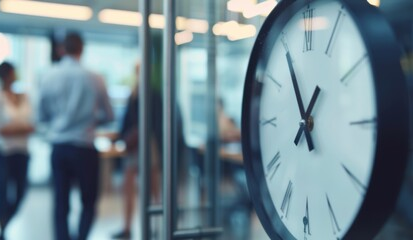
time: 12:55
